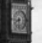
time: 8:32
